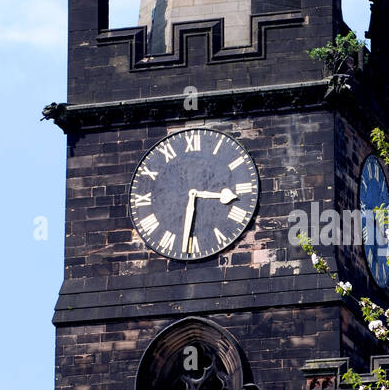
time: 3:31
